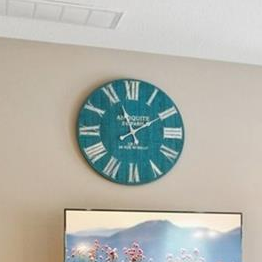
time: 11:09
